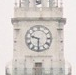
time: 9:30
